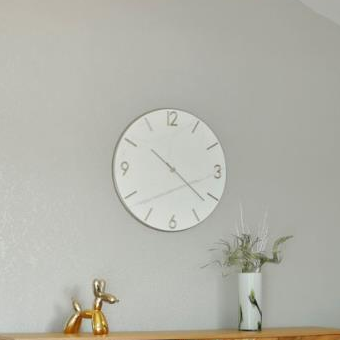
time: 10:22
